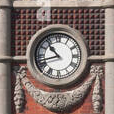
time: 10:42
